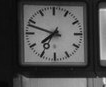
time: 7:48
